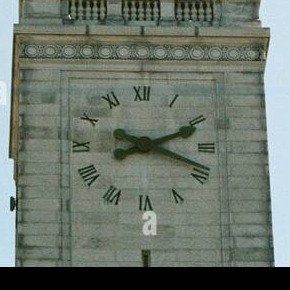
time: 2:18
